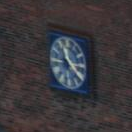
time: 11:21
